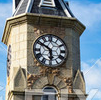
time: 5:50
